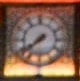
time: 7:38
